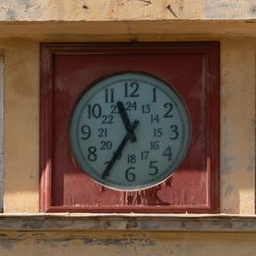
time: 11:35
